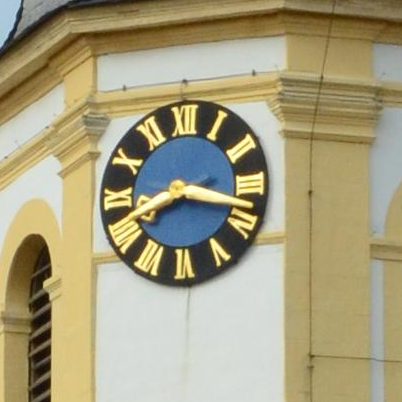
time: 8:17
